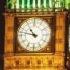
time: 10:47
